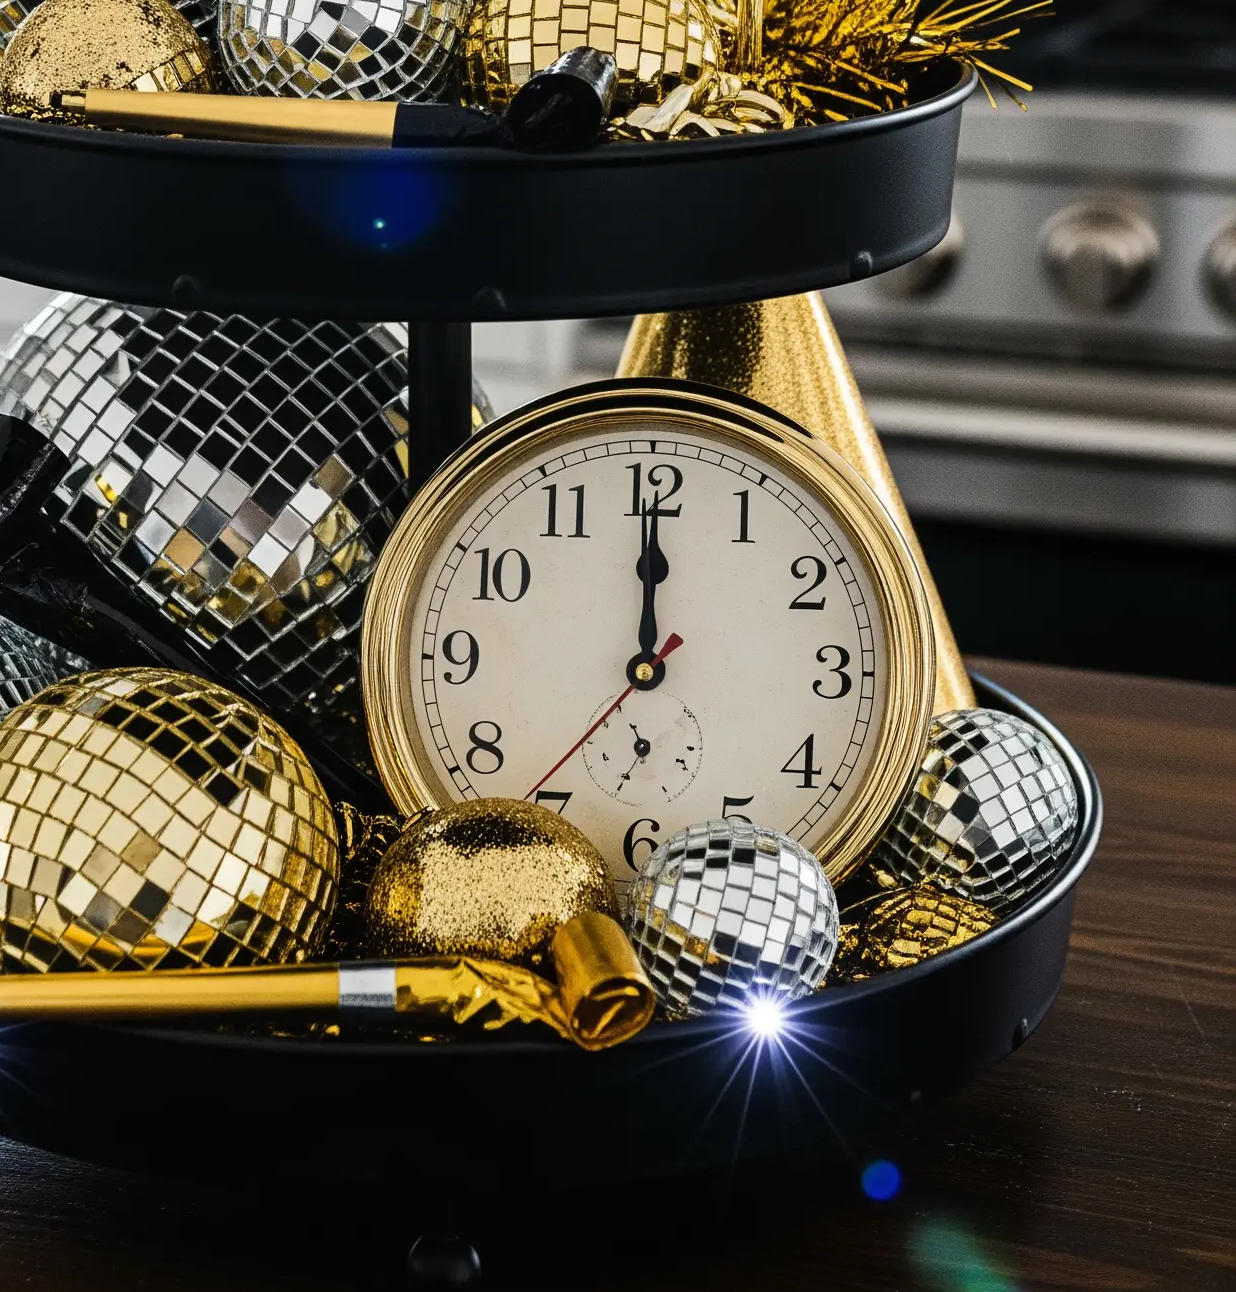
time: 11:59
